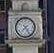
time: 7:24
